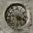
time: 5:18
